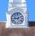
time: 9:11
